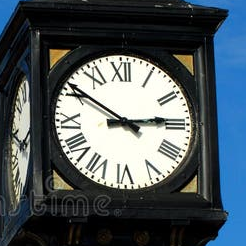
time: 2:50
